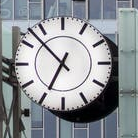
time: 6:52
